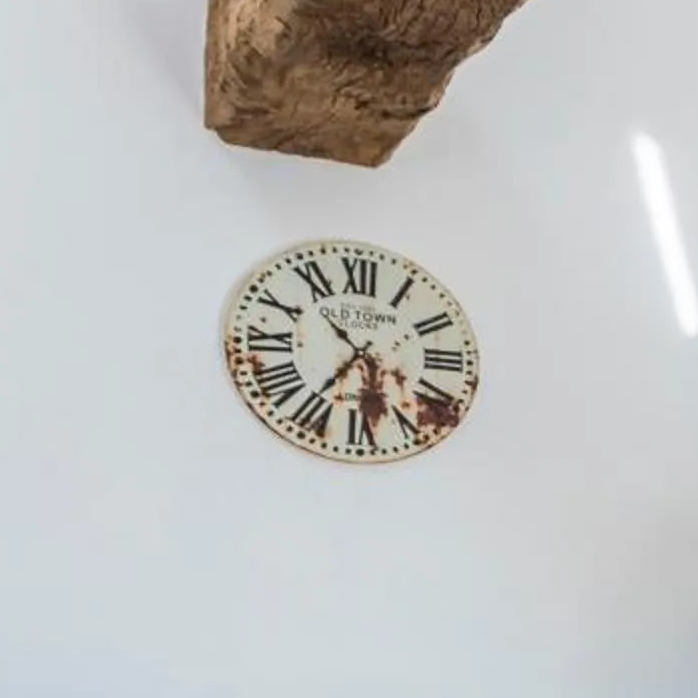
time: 10:36
